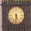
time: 5:31
